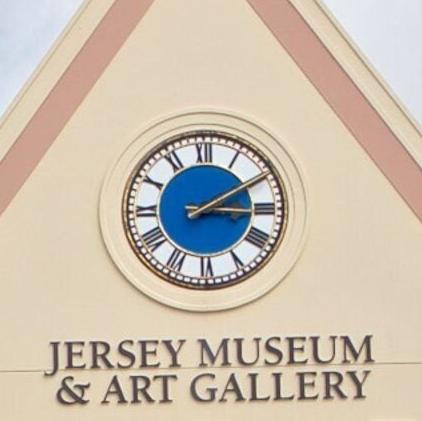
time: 3:10
